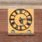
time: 5:13
